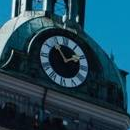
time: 1:53
